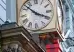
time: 3:52
